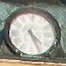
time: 4:25
